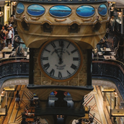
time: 11:01
